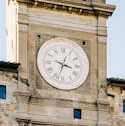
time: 3:33
